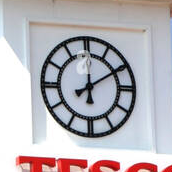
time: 12:09
